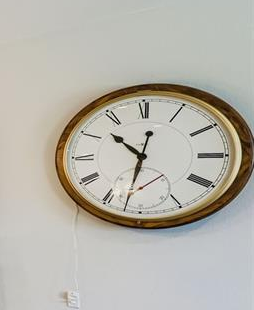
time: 10:31
